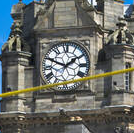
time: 1:49
